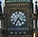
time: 4:35
